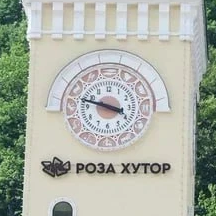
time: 3:47
